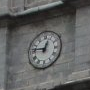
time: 12:46
